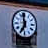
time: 6:58
